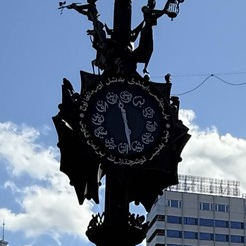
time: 11:28
